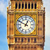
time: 12:49
